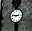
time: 2:46
